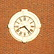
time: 8:22
